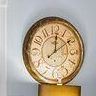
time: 12:09
